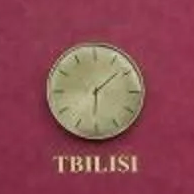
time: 6:08
